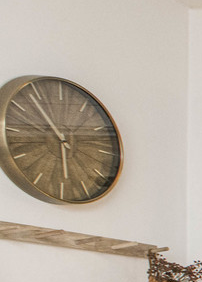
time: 5:53
